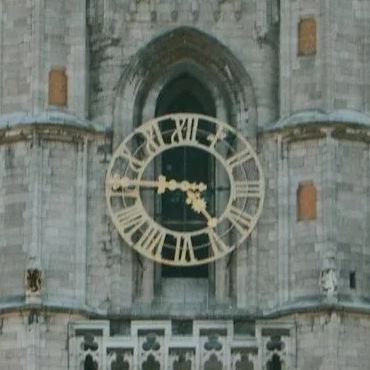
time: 4:45
